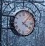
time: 4:07
